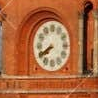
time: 7:40
